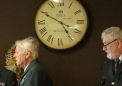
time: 4:49
